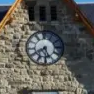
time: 5:40
